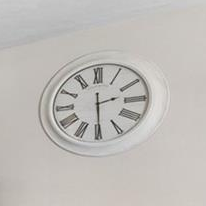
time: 2:29
